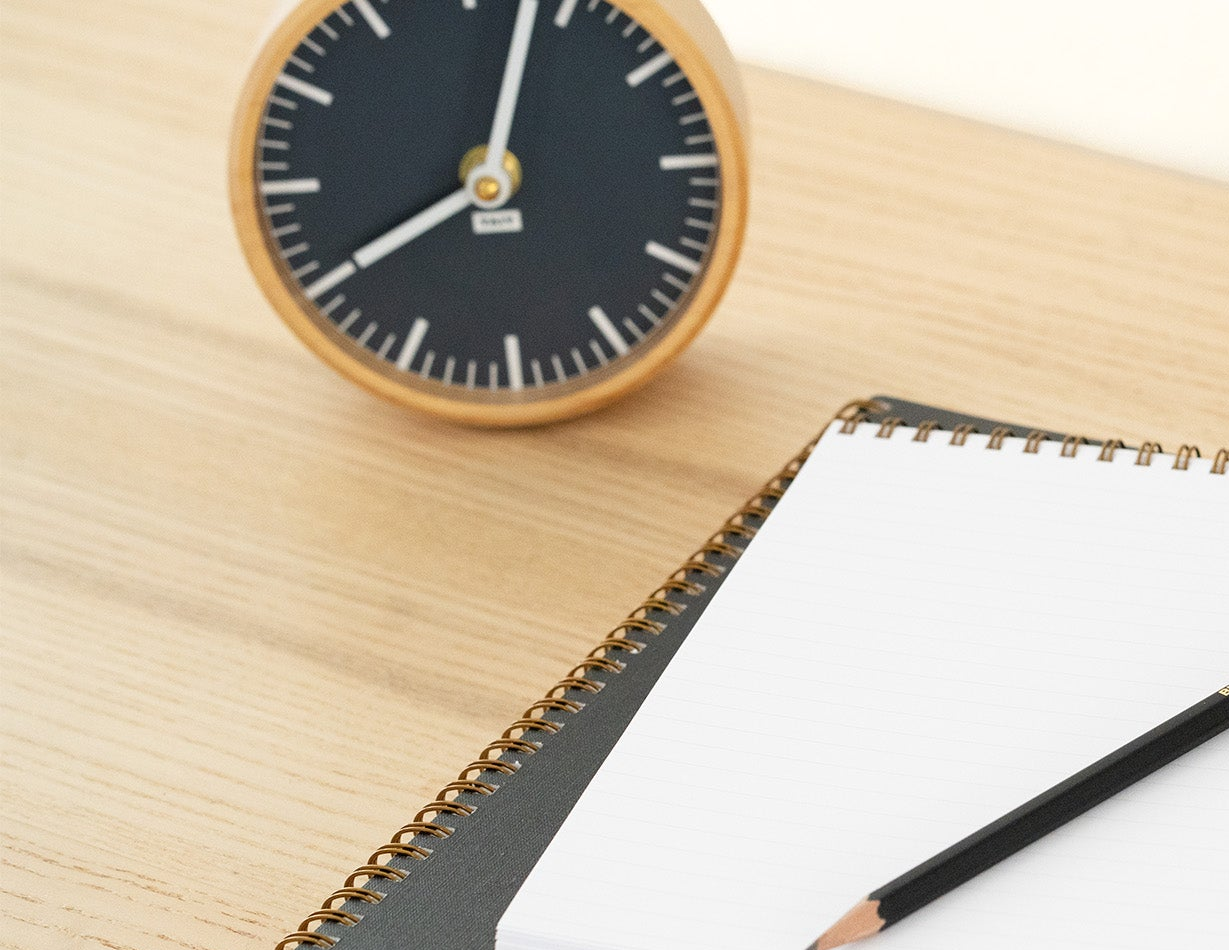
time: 8:03
